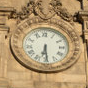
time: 6:29
